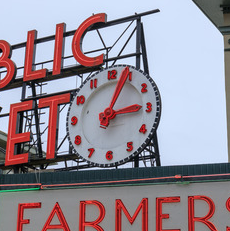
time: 3:04
